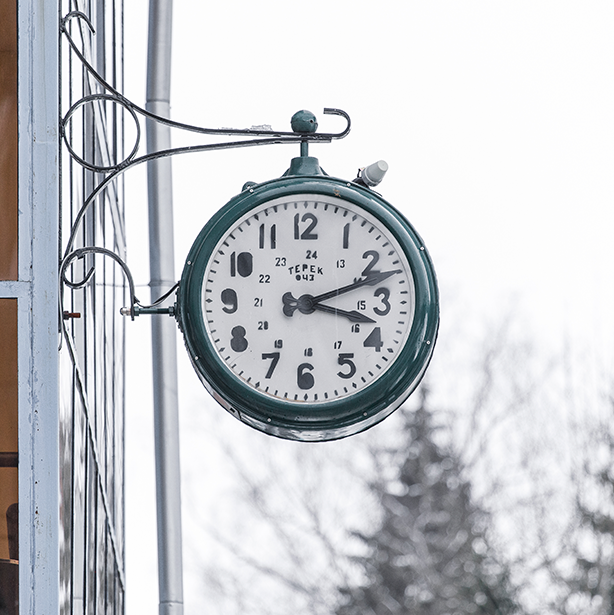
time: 3:11
